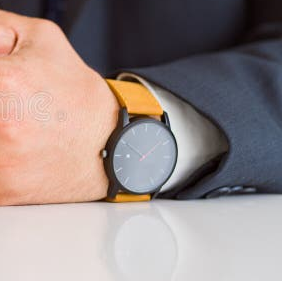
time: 1:50
